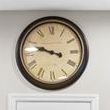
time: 9:48
